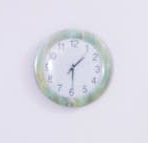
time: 1:29
